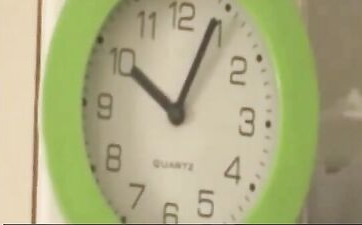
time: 10:04
